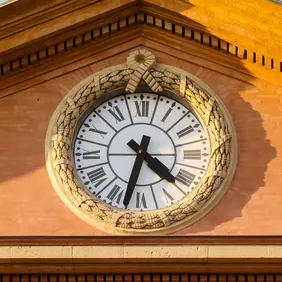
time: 4:32
